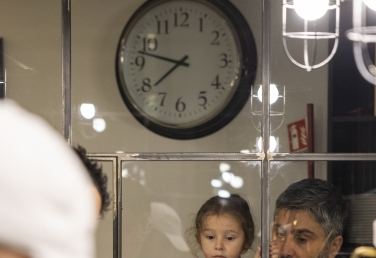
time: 7:47
